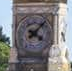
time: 4:07
